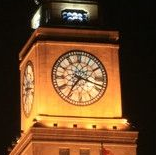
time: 7:17
